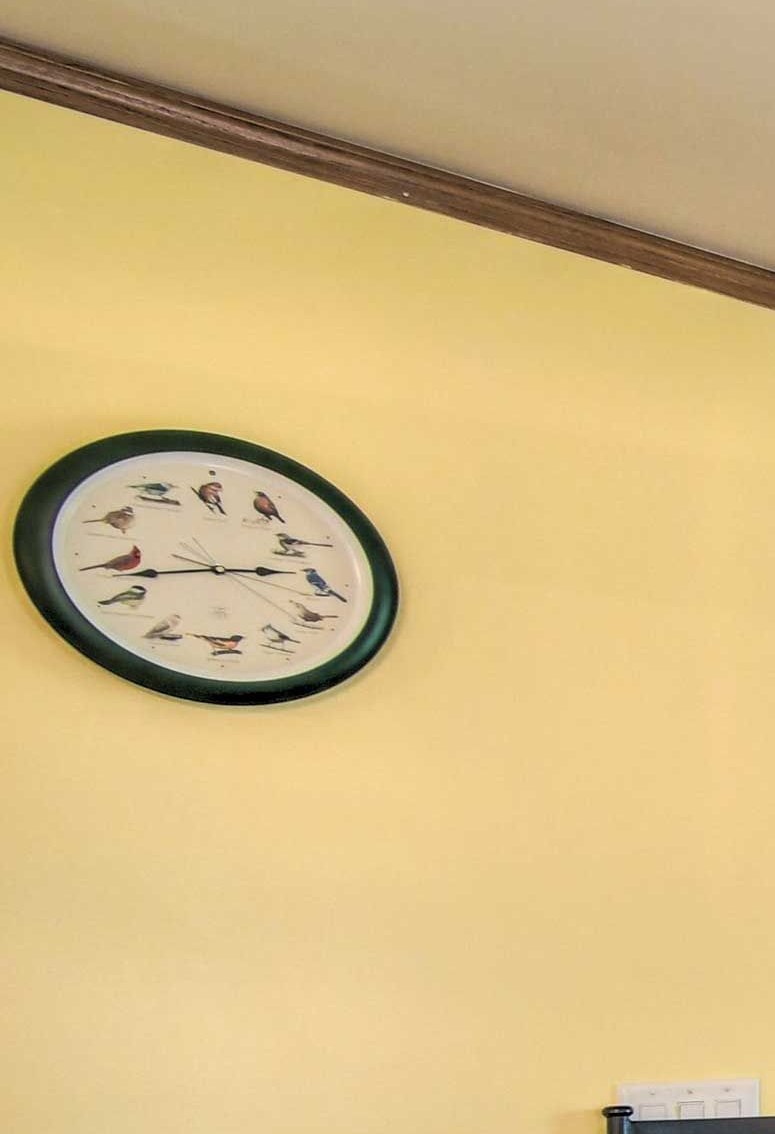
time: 2:42
